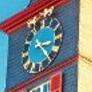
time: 3:23
